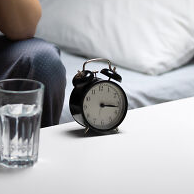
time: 3:17
